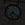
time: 7:22
